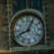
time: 8:04
